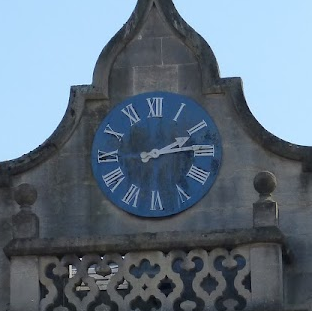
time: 2:14
